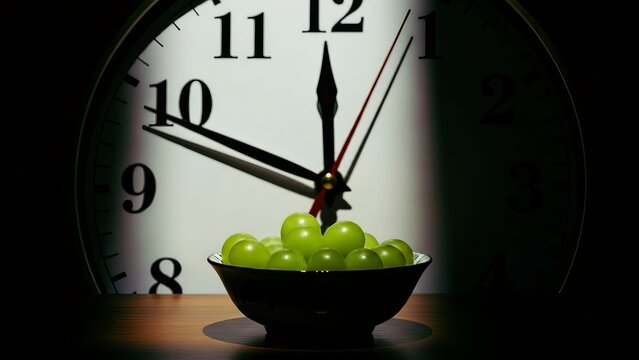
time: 11:49
